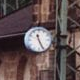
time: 11:25
